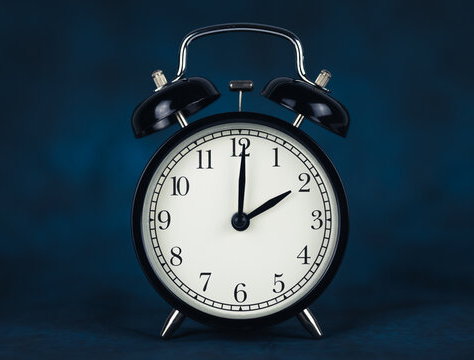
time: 2:00
